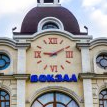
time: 9:09
